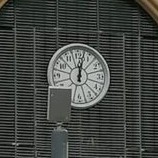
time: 12:02
